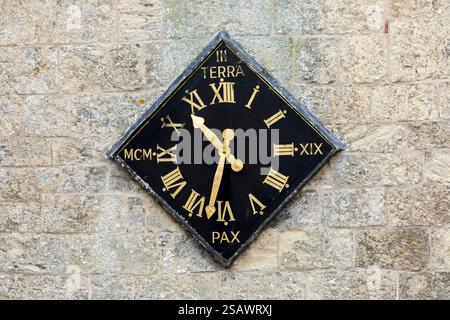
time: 10:32
